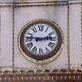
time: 2:46
